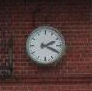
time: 2:19
